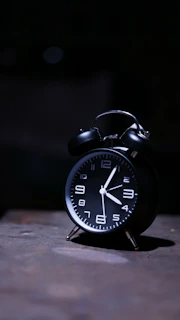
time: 4:04
